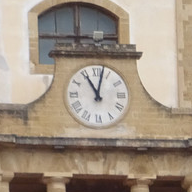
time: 11:02
